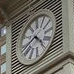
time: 4:40
